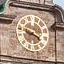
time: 3:47
